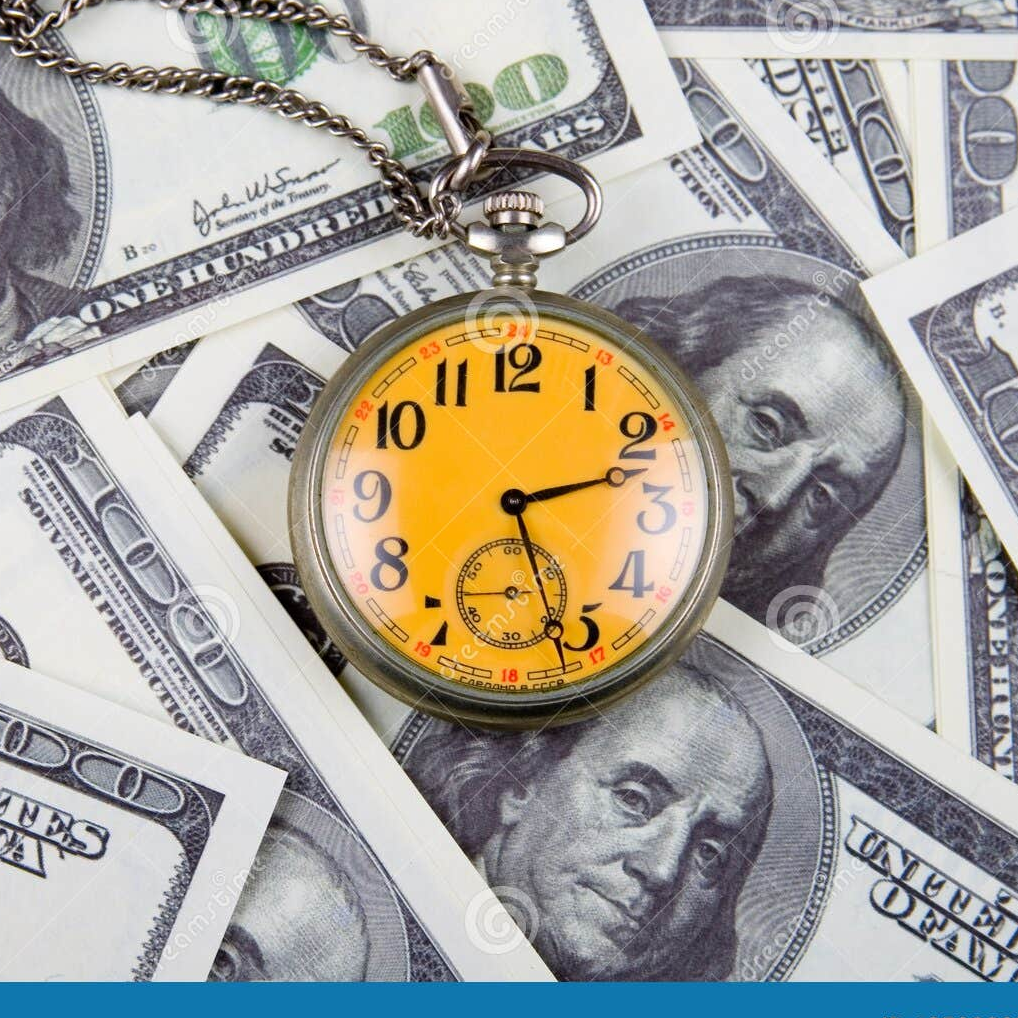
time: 2:26
